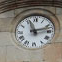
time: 11:12
